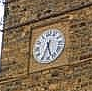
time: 5:34
